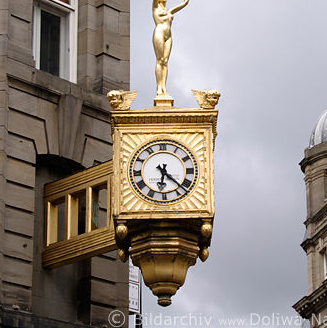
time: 6:22
